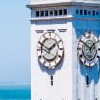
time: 1:50
